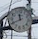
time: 11:40
